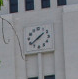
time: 1:38
